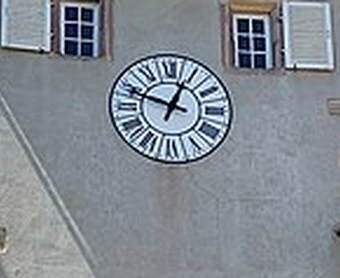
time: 12:48
